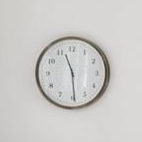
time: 11:29
